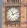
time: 11:11
